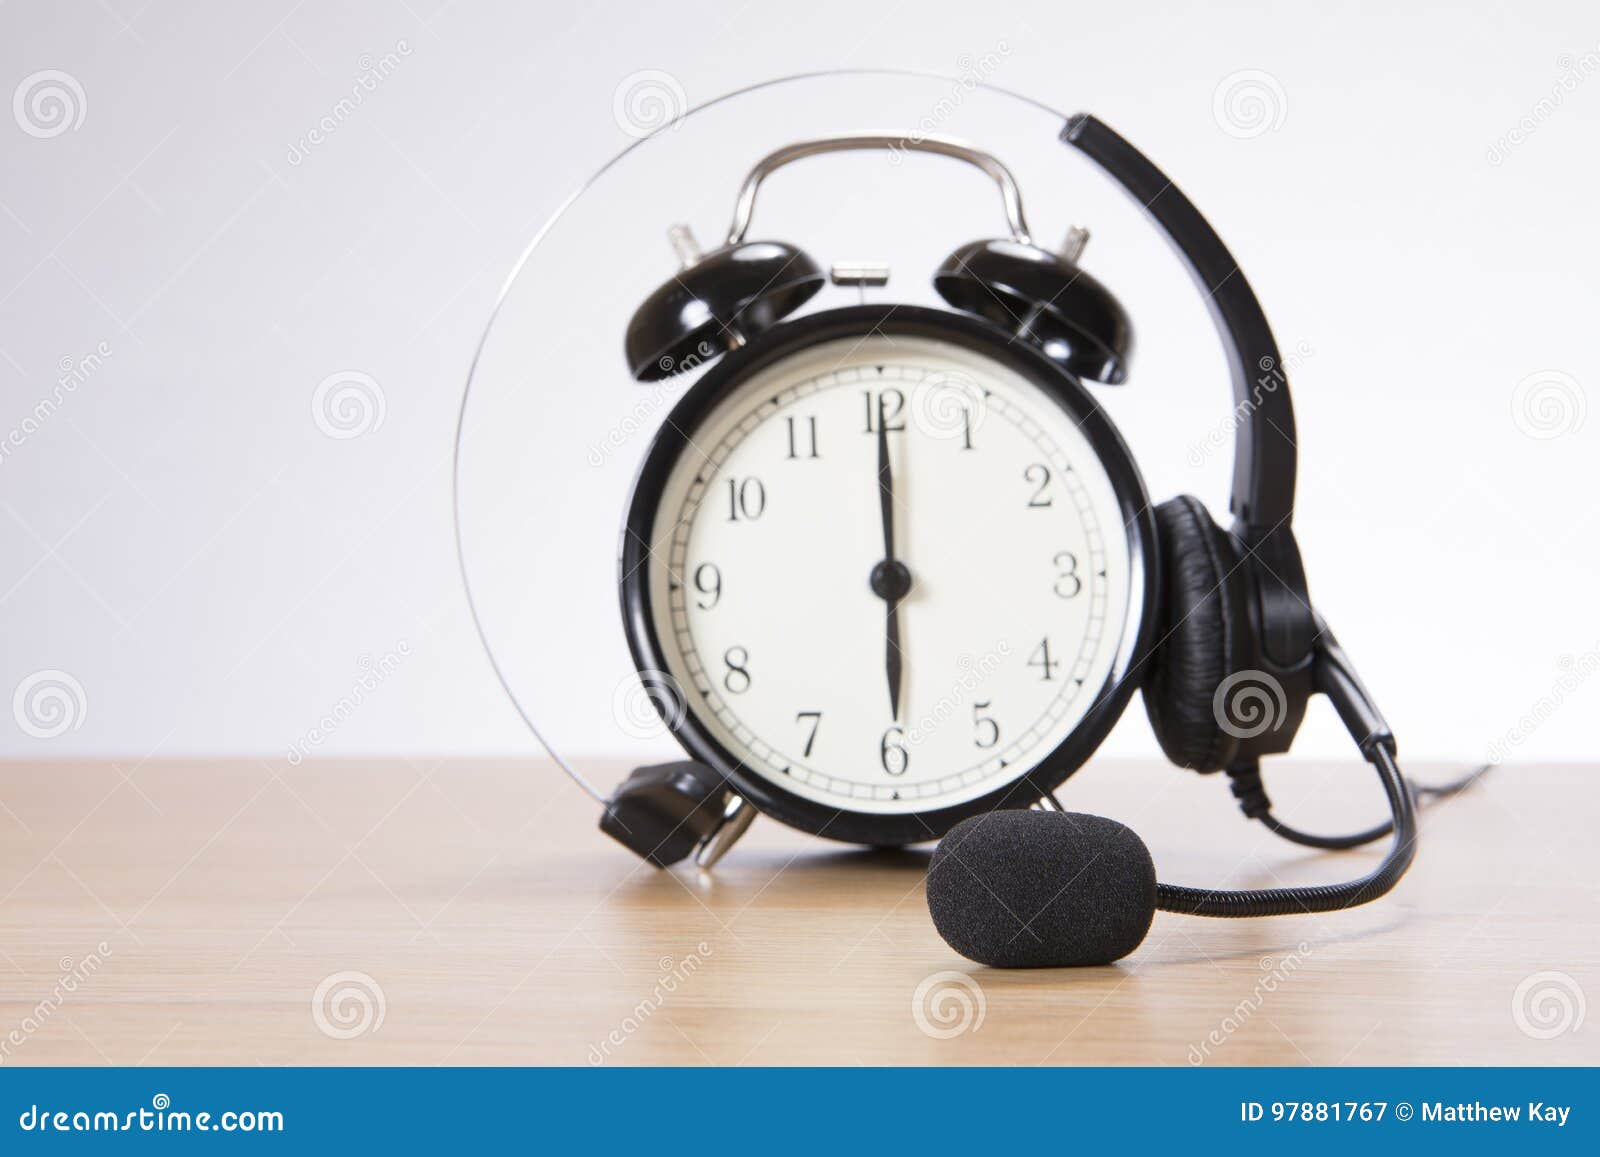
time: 6:00
